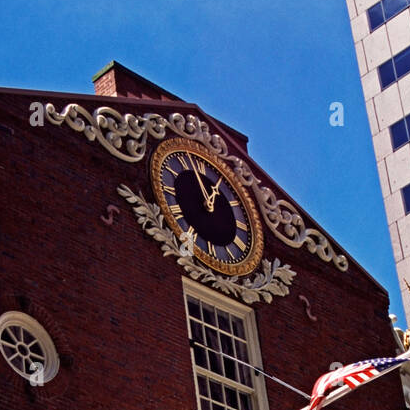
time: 12:57
